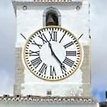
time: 11:23
